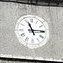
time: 11:14
